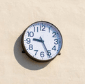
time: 9:25
